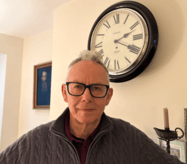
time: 2:19
